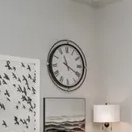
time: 11:19
